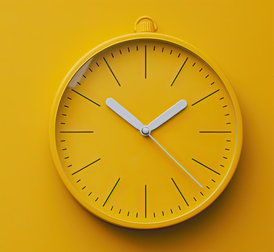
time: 1:51
